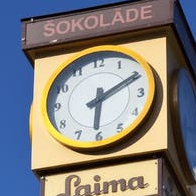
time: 6:10
